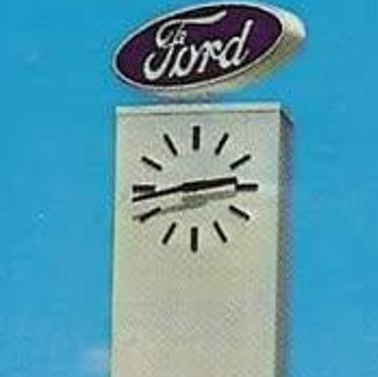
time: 2:43
